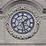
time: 1:28
